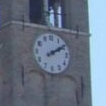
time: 2:09
